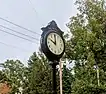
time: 10:00
